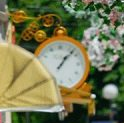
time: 1:07
